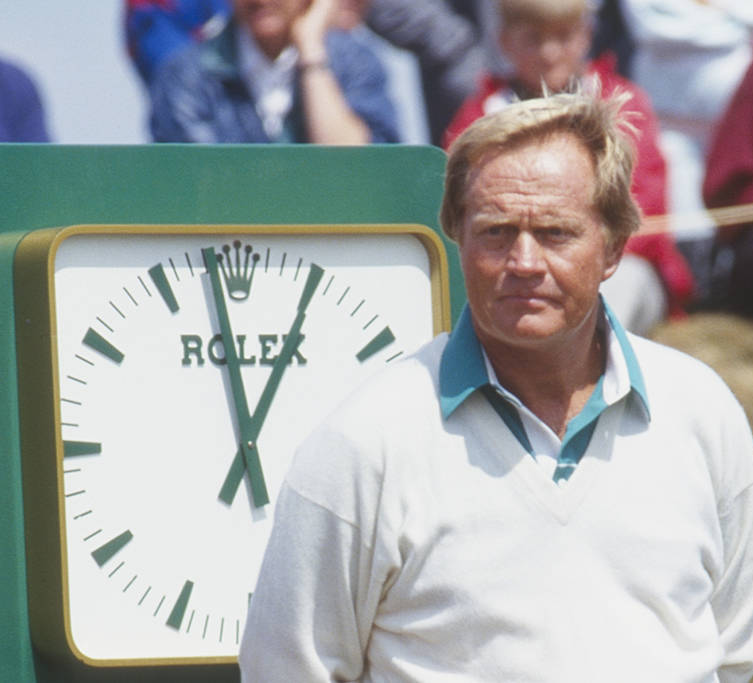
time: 12:58
